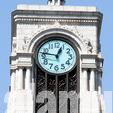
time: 12:46
